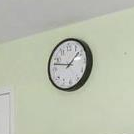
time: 1:47
